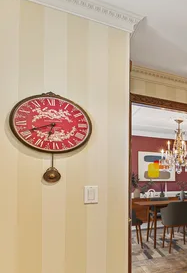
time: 6:41
